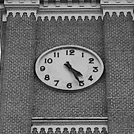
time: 4:25
